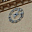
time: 7:15
